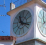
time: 11:17
